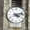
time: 4:12
